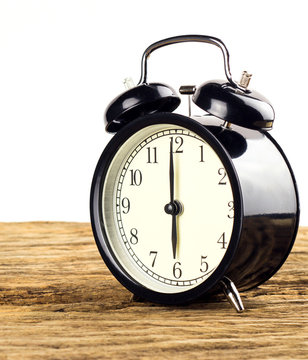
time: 5:59
